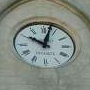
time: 10:02
